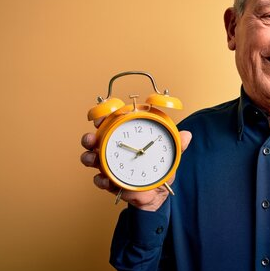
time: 1:50
